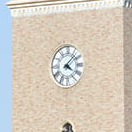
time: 4:07
